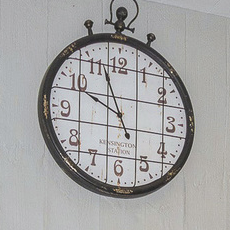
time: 9:56
